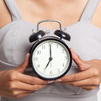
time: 7:00
